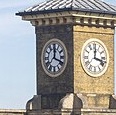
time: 12:18
